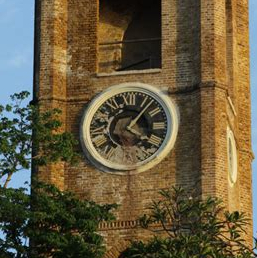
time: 4:06
